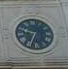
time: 9:33
